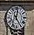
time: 12:24
